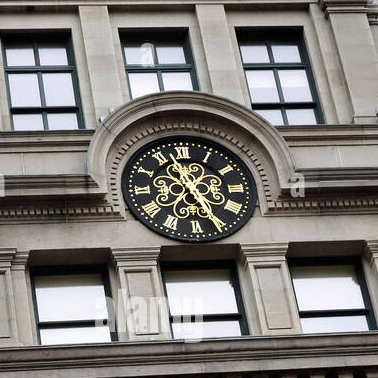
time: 11:25
